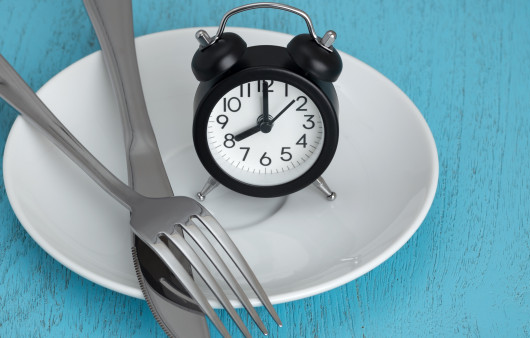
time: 8:00
